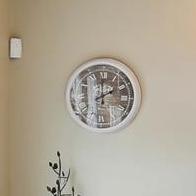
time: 1:59
